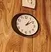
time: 1:09
